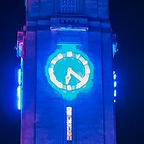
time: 6:21
